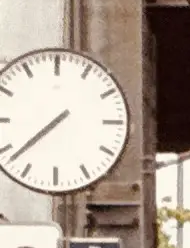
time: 7:37
